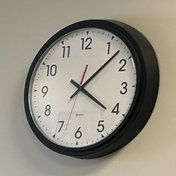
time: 4:07
